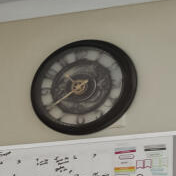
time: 10:39
